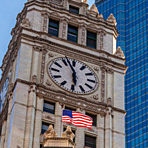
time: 5:56
